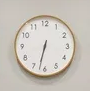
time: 6:32
